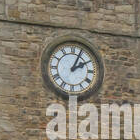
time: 2:04
